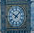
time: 10:07
